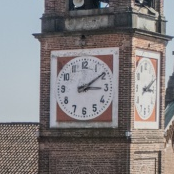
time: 3:09
